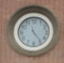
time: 11:23
